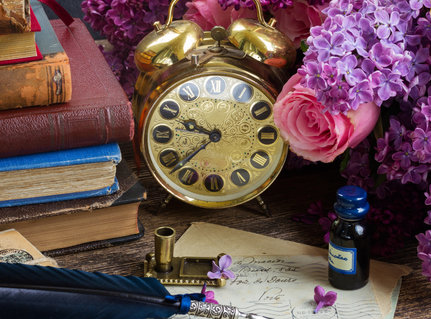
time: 9:38
